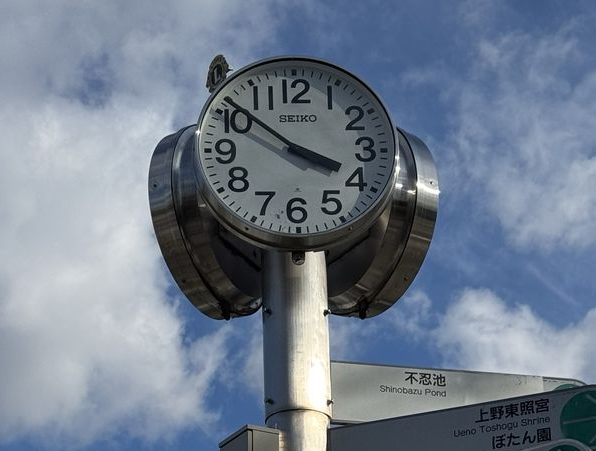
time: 3:51
